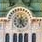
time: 6:25
